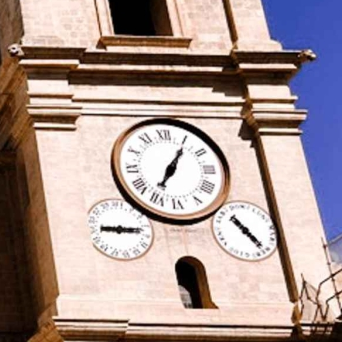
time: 7:05
